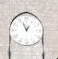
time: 12:56
